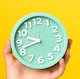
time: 9:42
